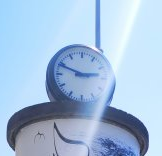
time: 2:48
